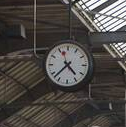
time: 4:37
